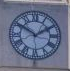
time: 1:50
